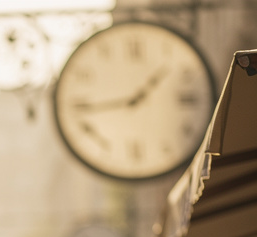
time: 1:43
